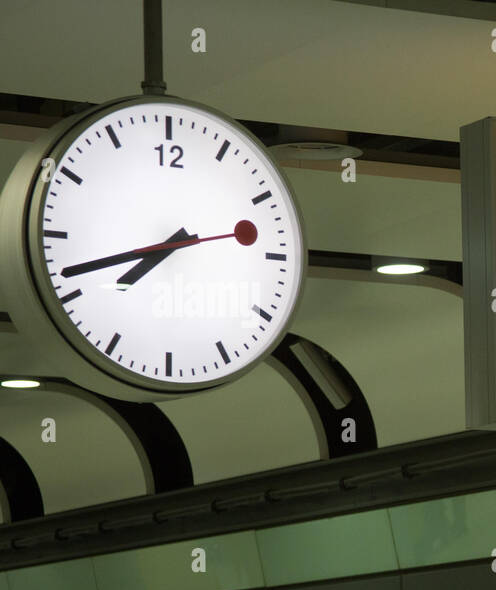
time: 7:41
